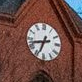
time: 6:42
